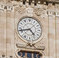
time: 4:42
